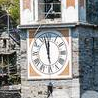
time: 11:57
